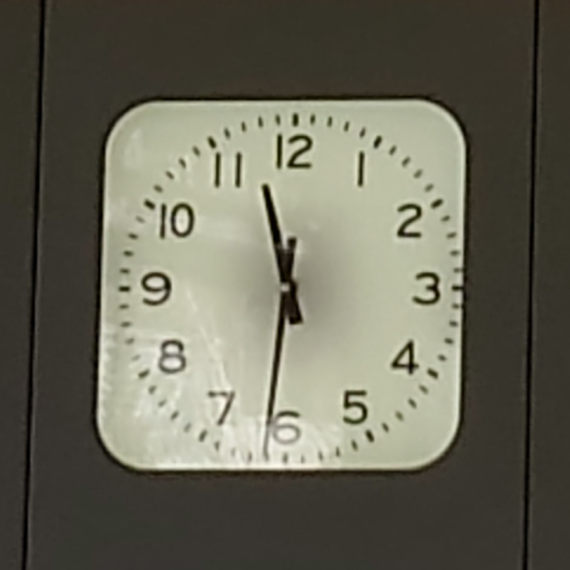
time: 11:31
